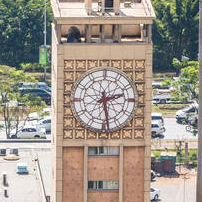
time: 2:28
